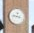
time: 9:17
